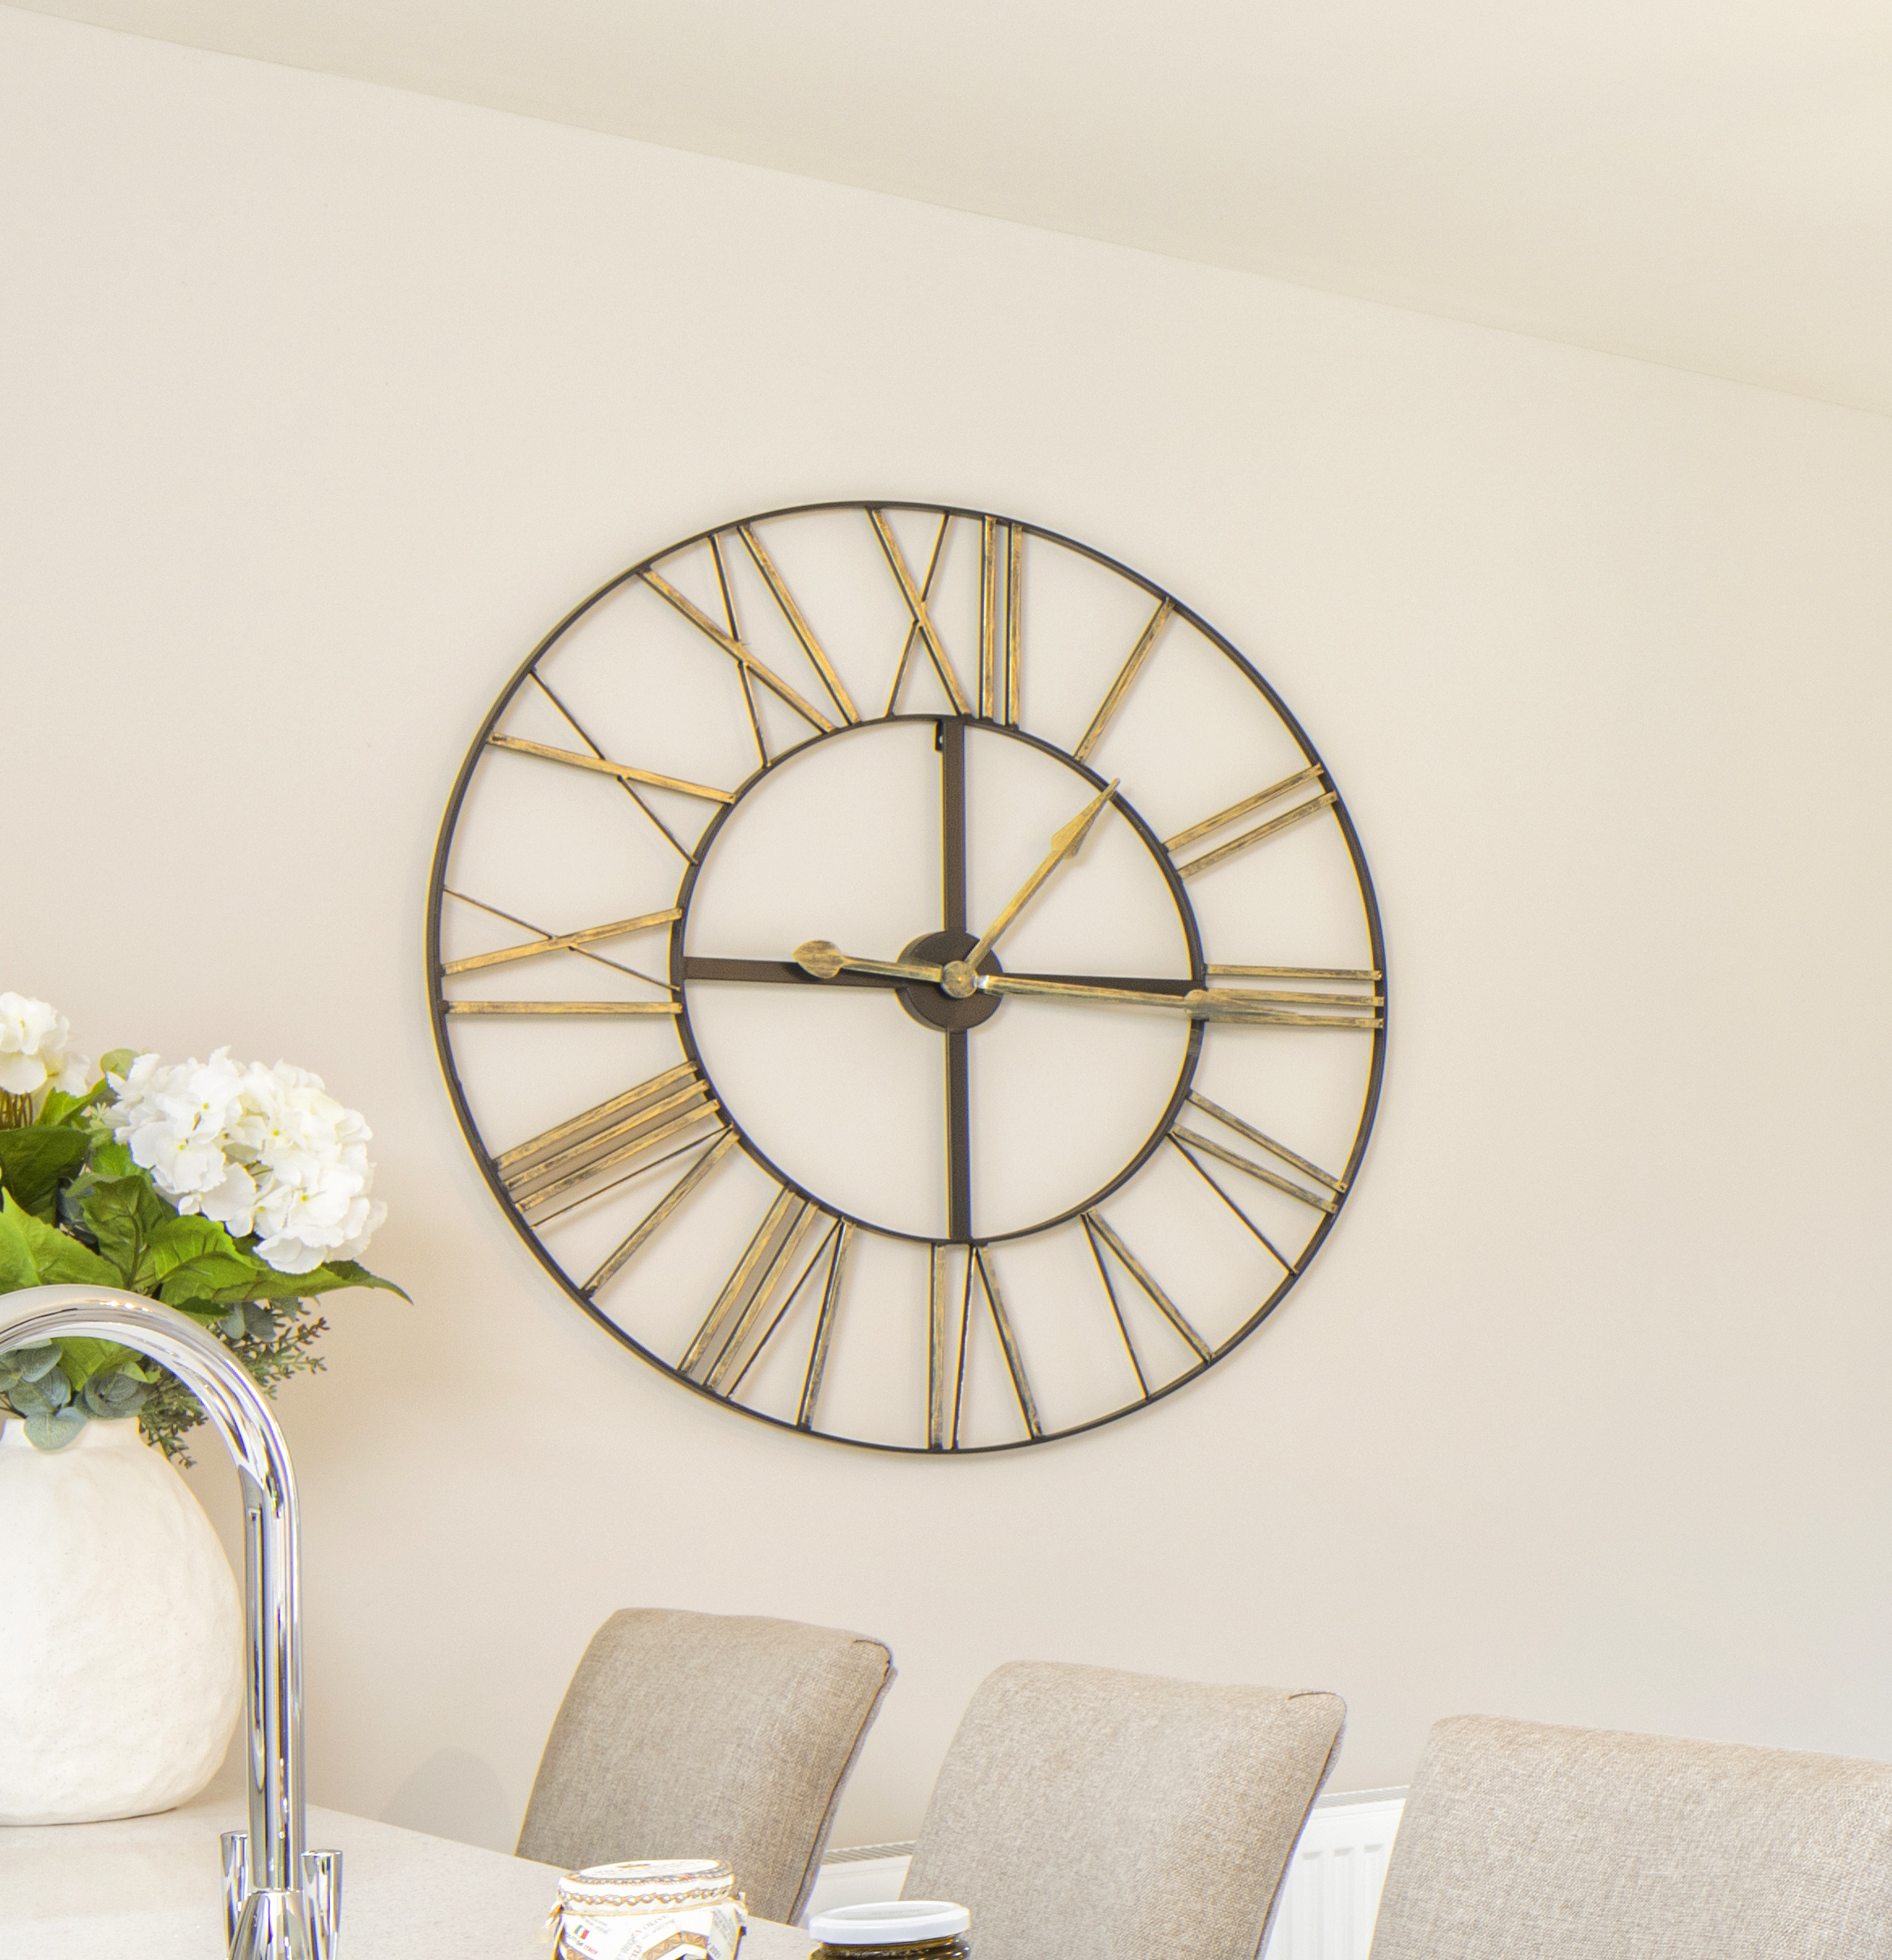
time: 9:00
